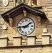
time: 1:43
